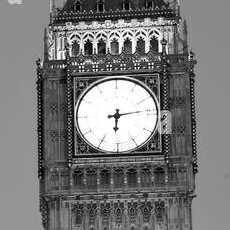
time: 6:13
